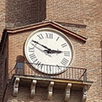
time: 2:49
